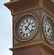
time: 1:22
